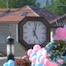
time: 5:01
